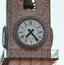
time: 7:23
